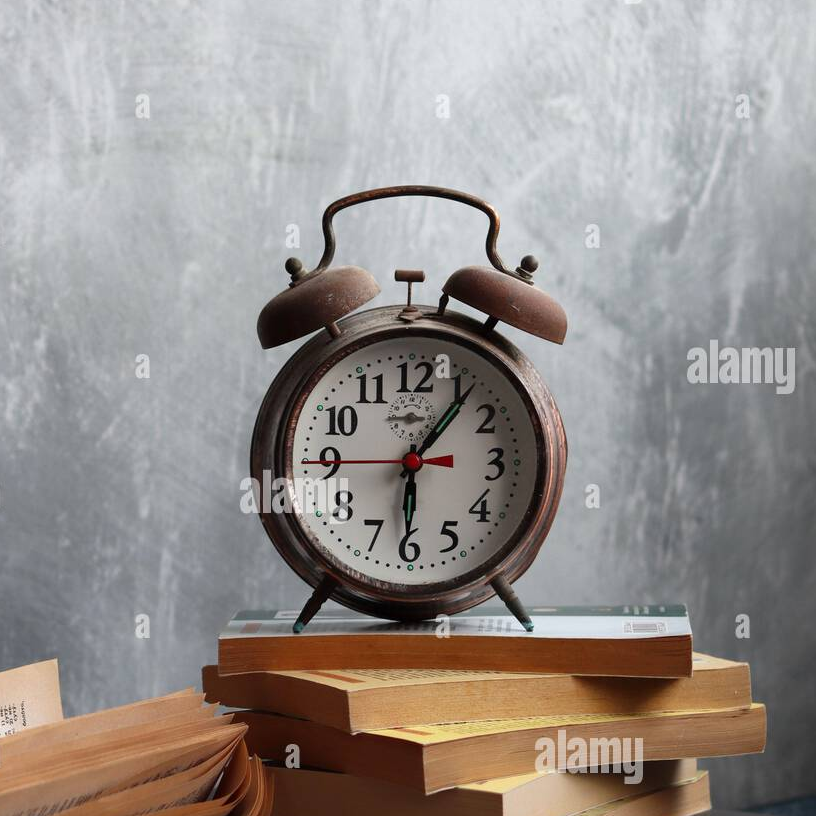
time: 6:06
